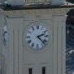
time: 2:22
